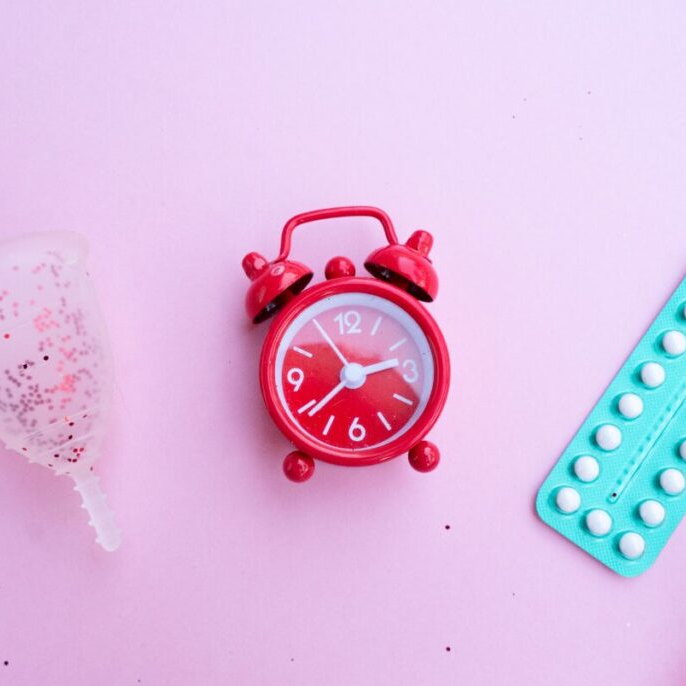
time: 2:38
